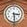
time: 3:29
